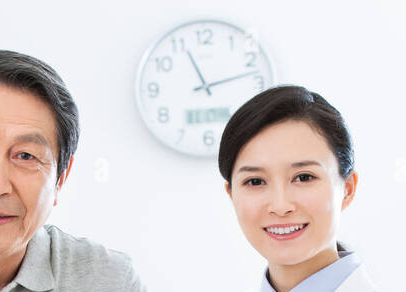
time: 11:12
